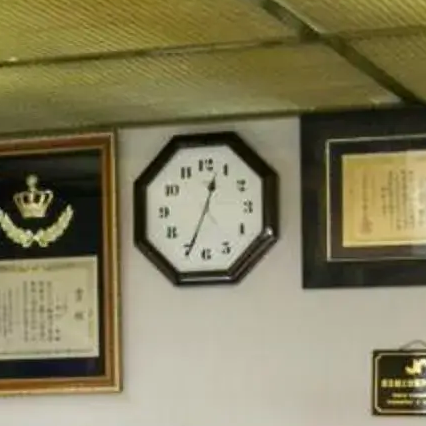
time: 12:34
